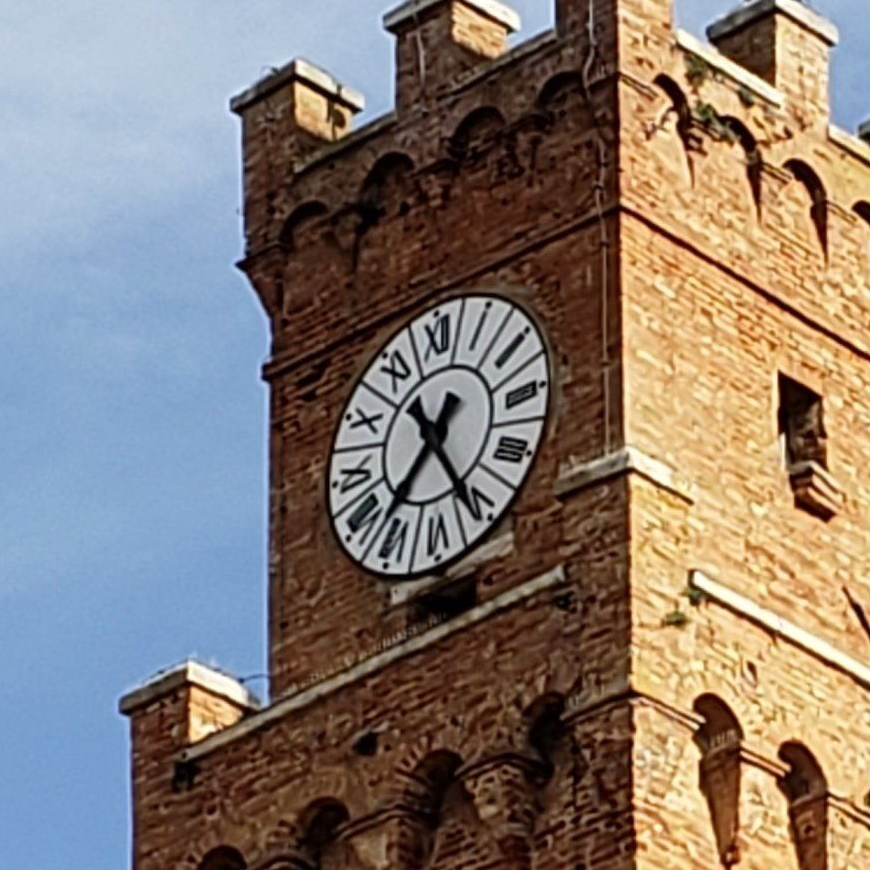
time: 7:25
